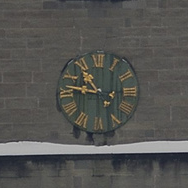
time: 10:47
